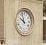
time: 9:57
